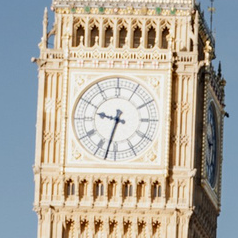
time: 9:32
